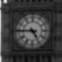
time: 4:45
